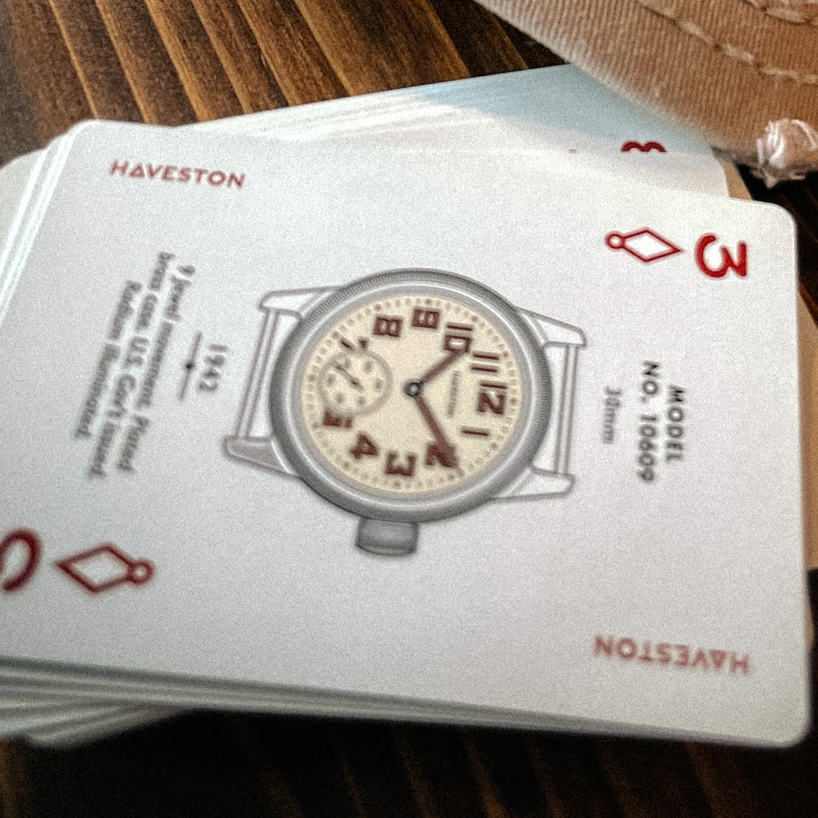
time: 1:24
